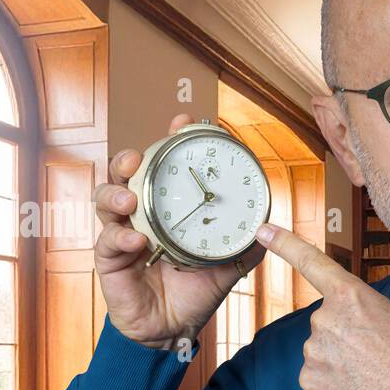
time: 10:37
